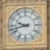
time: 9:42
